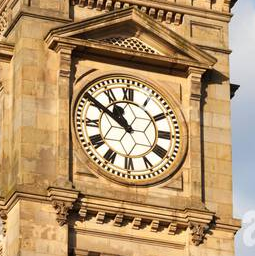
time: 10:50
